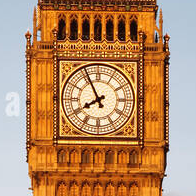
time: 7:55
